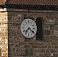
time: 7:21
